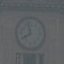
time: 7:58
